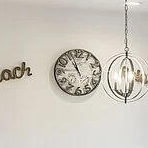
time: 10:56
